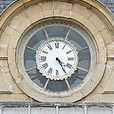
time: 4:24
